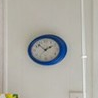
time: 1:52
